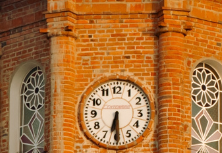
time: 6:29
